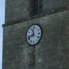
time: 11:42
